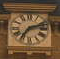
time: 7:12
